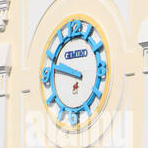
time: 9:47
